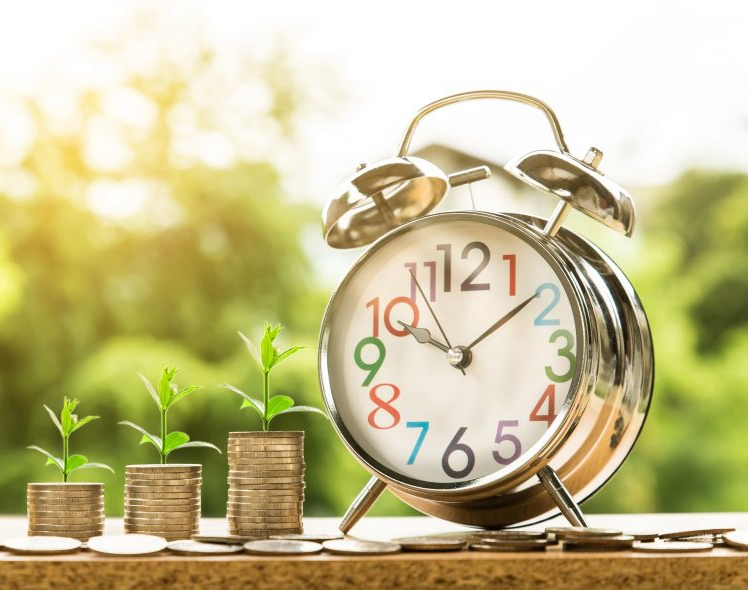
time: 10:08
